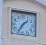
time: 1:35
